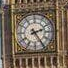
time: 2:24
